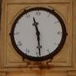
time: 11:29
